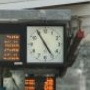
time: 4:54
